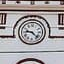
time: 9:22
